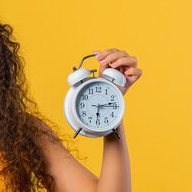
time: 6:13
